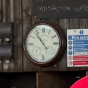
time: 10:53
